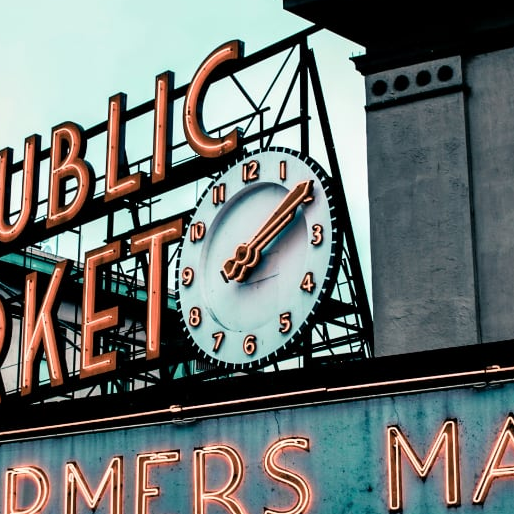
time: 2:09
